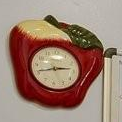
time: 2:42
